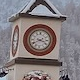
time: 3:40
